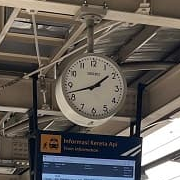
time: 1:42
